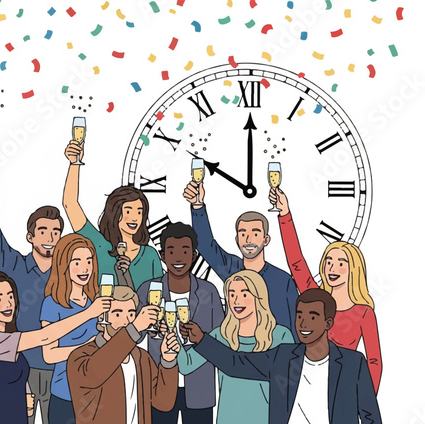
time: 10:00
